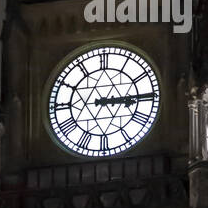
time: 3:14
